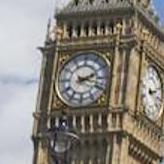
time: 2:18
